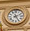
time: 5:11
